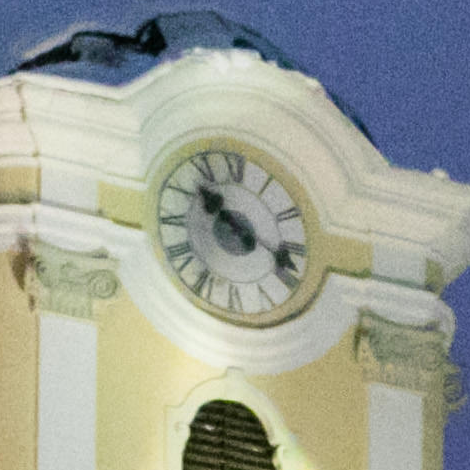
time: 10:18
